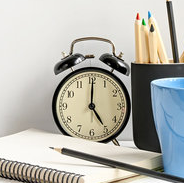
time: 5:00
